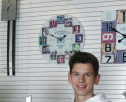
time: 1:49
